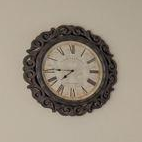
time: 7:44
